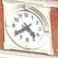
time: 4:39
